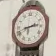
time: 2:42
